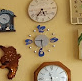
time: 5:45
